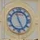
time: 4:56
